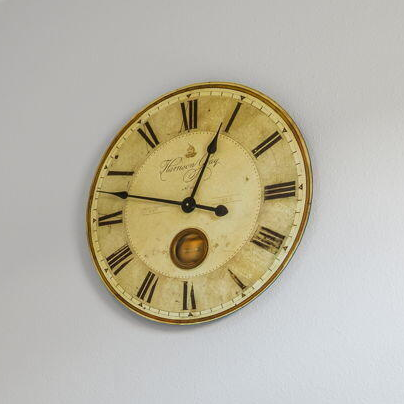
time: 12:47
